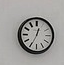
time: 12:34
